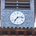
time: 7:13
